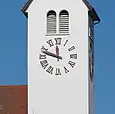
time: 11:47
